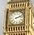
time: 2:12
